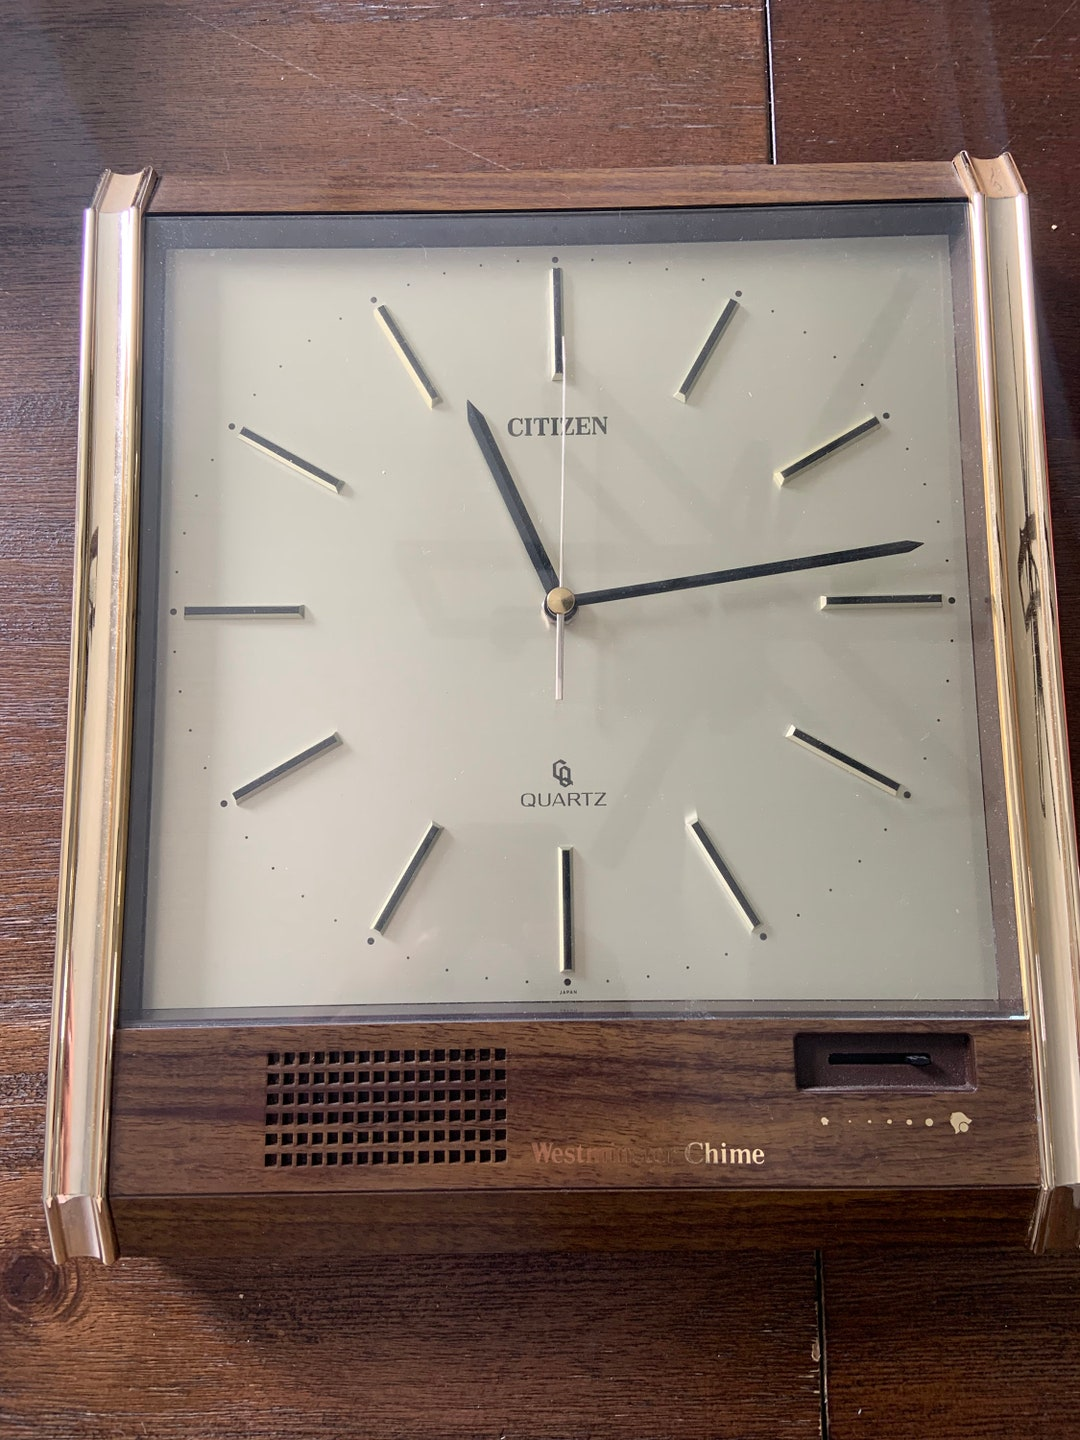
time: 11:13
